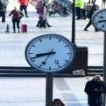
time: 8:34
